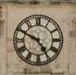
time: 4:49
